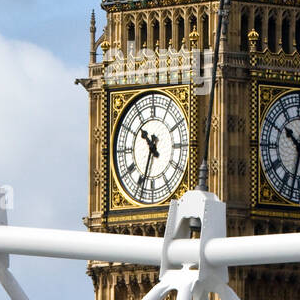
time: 10:33
